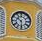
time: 10:30
